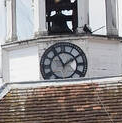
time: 1:55
